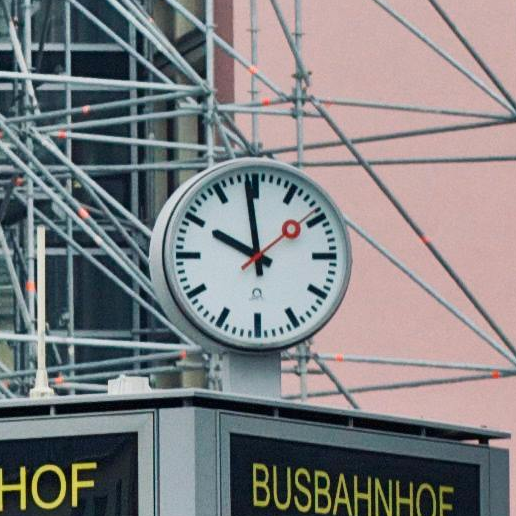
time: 9:58
